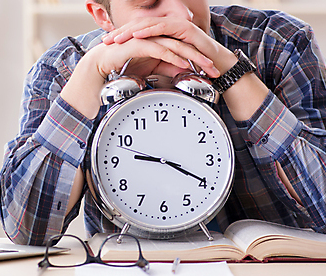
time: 9:19
